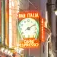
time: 8:09
